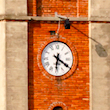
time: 6:20
